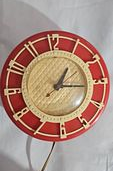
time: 1:15
